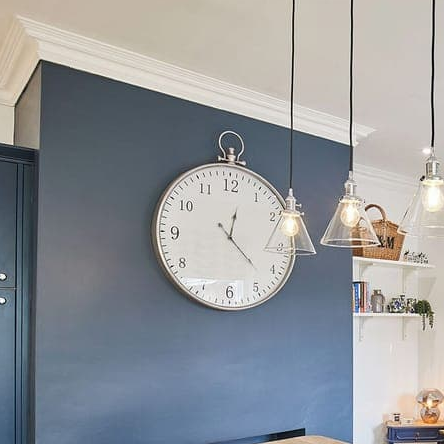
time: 12:22
